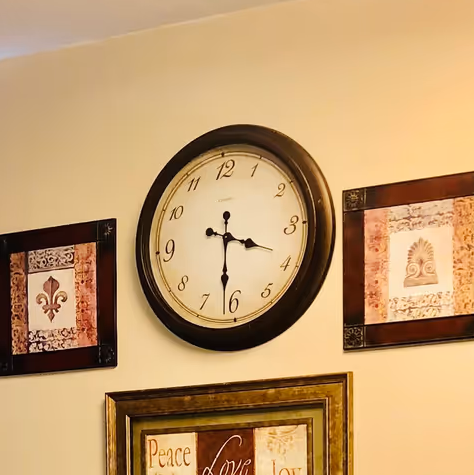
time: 3:31
